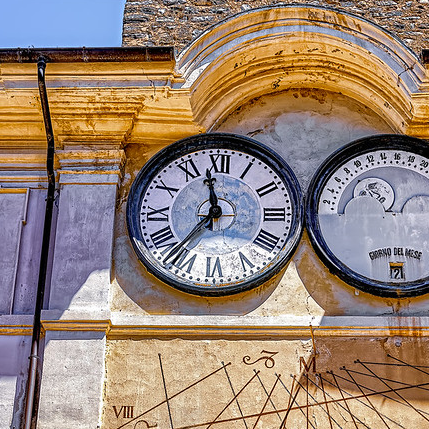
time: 11:36
